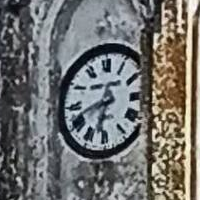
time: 6:41
